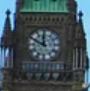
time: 11:49
